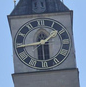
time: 1:43
